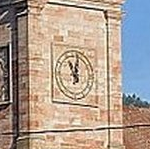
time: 11:02
